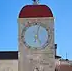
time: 5:02
